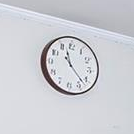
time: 11:22
